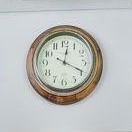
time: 12:19
